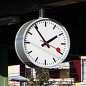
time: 1:54
